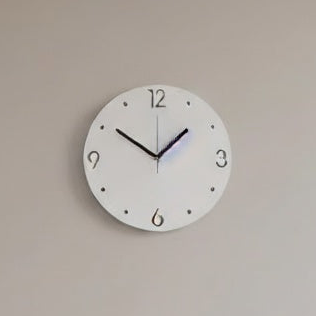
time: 1:50
